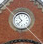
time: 10:37
